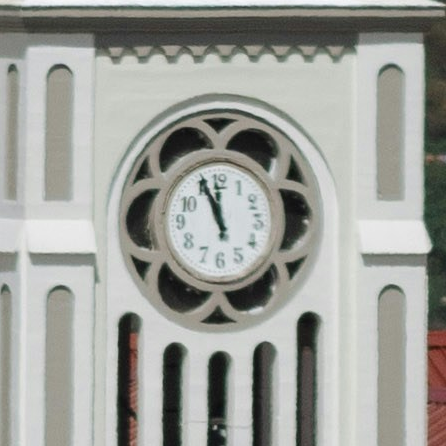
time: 11:56
